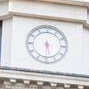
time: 5:31
